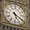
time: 5:20
